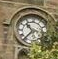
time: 10:36
